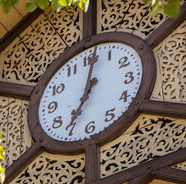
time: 7:01
